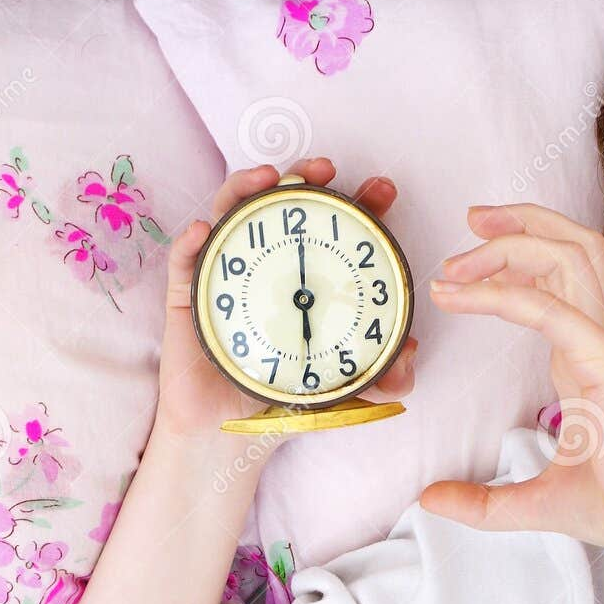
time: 6:00
